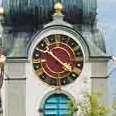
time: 10:20
